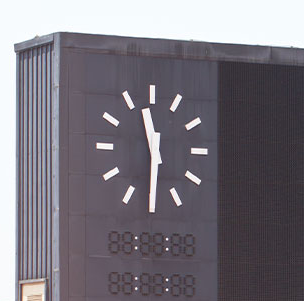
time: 11:30
